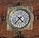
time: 4:36
